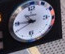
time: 10:45
